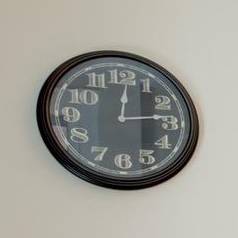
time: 12:14
